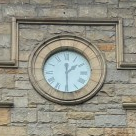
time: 1:29
